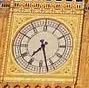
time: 7:27
